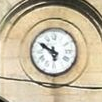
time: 5:50
